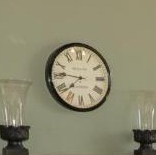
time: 7:46
